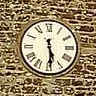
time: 5:29
